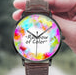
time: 10:08
